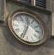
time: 12:33
